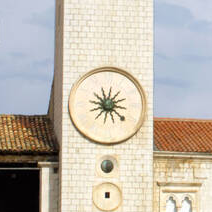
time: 1:21
